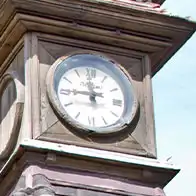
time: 11:45
